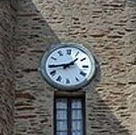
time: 1:43
